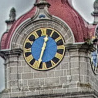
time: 12:32
